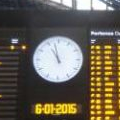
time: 10:57
